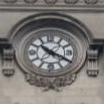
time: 10:19
